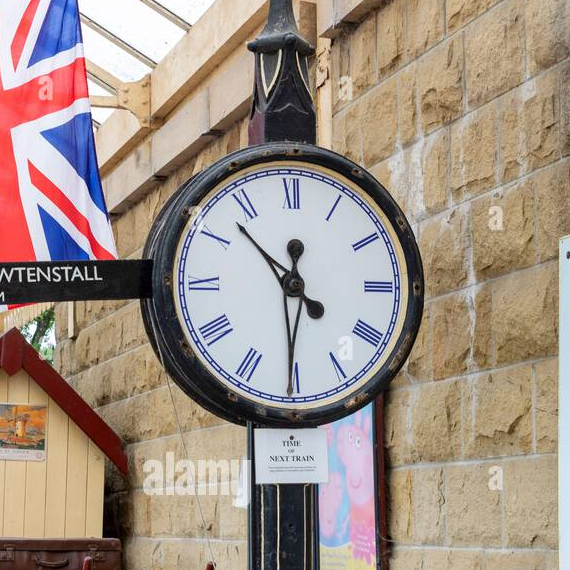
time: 10:30
